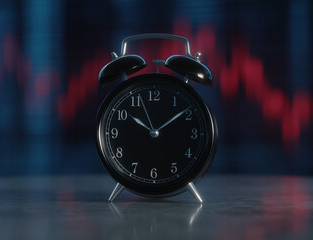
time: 10:08
